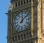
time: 12:07
